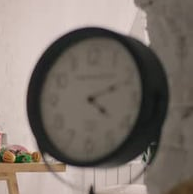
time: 4:11
